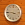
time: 3:45
